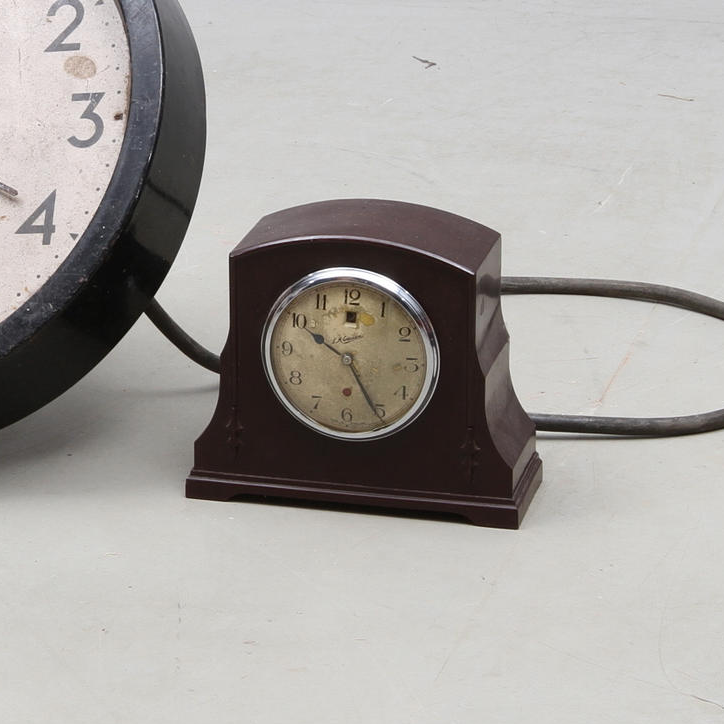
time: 10:25
